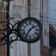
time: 1:36
